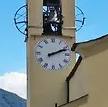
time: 2:11
